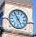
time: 4:54
